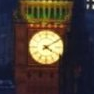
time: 4:09
